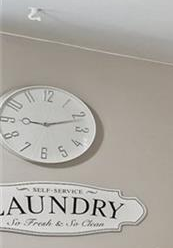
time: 9:11
